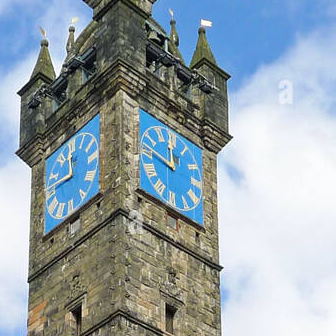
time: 11:46
